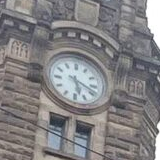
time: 5:18
